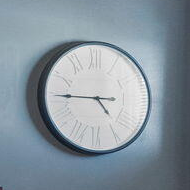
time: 4:45
